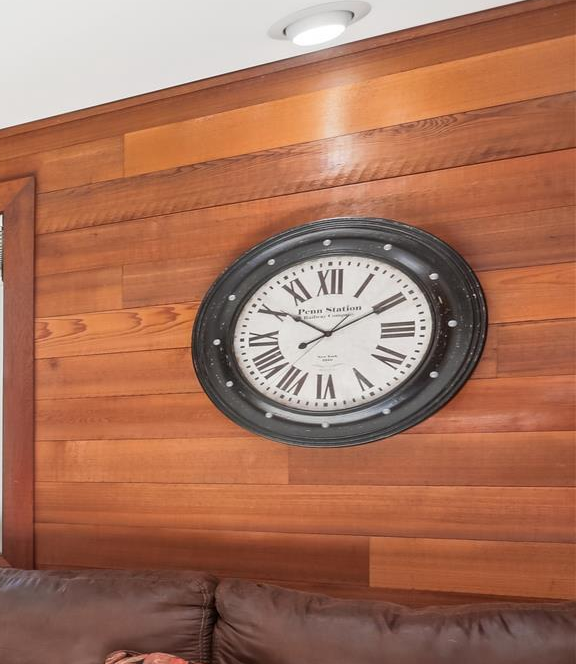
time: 10:10
